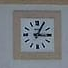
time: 3:04
